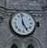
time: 4:58
